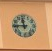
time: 11:44
